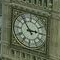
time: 2:53
